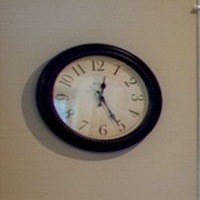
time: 12:25
